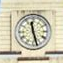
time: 11:27
